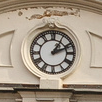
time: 1:11
